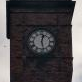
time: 12:27
